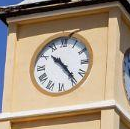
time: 10:23
